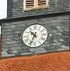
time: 10:34
